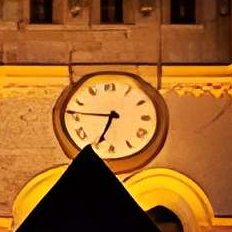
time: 6:46
